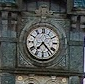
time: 7:23
